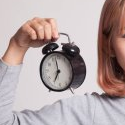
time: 6:58
